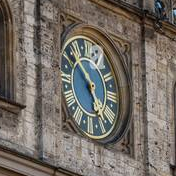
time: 4:52
